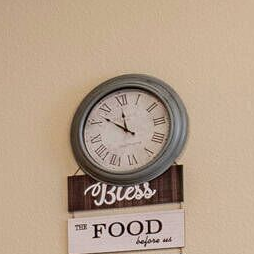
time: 11:52
